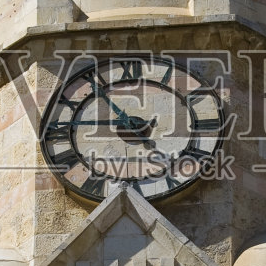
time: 10:46
